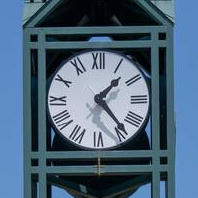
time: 1:23
